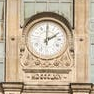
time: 2:00
